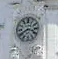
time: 3:40
